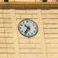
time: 10:36
